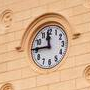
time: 11:45
